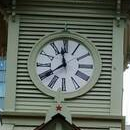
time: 11:39
